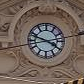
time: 3:48
